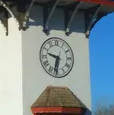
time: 9:32
